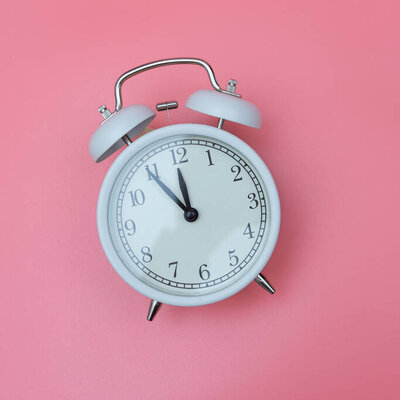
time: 11:54
